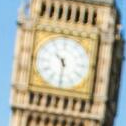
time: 10:30
